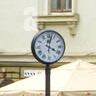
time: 4:02
